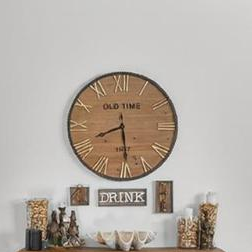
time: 8:29
